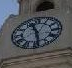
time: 11:29
